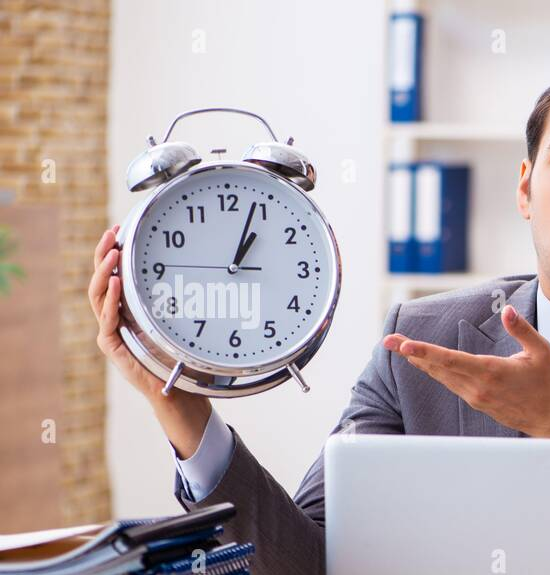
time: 1:03
